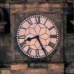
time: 8:25
